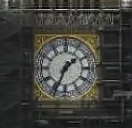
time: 1:34
